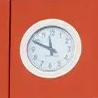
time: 11:49
